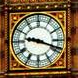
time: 9:18
